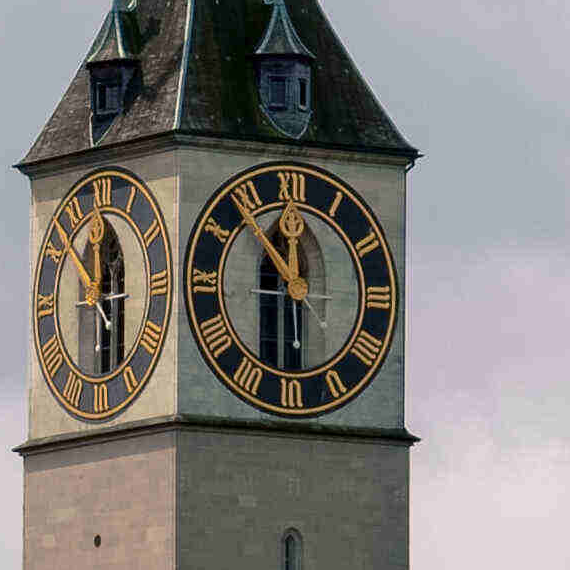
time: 11:53
